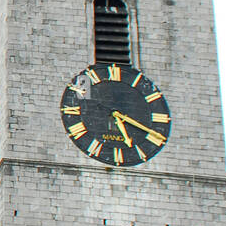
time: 5:18
